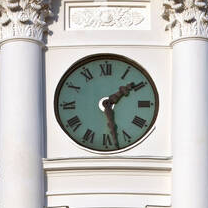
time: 1:28
